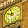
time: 9:57
